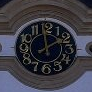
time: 1:59
